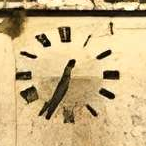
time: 6:34
